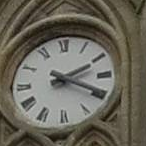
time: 2:19
